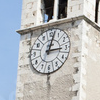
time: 3:02
